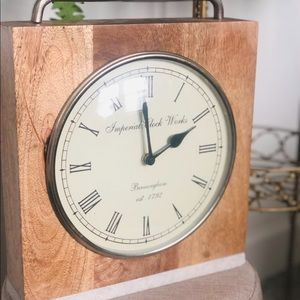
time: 1:59
